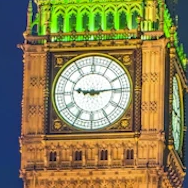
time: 9:13
